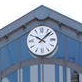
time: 10:07
